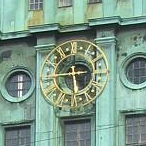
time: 5:45
